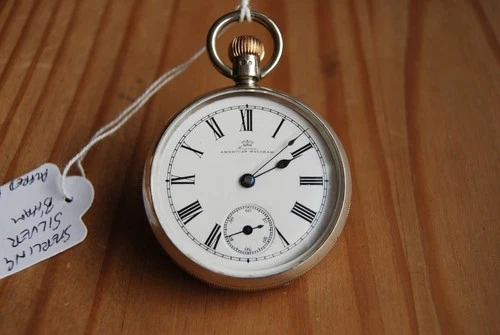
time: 2:08
